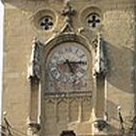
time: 5:14
